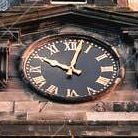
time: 10:02
